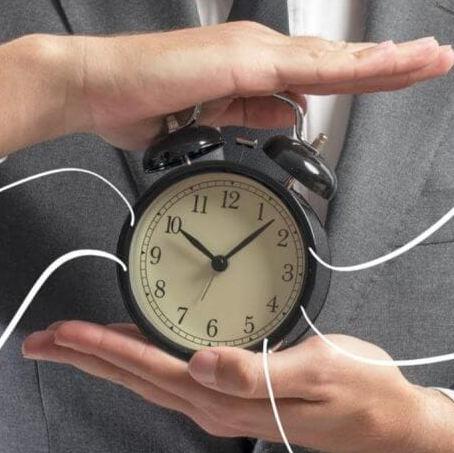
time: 10:07
